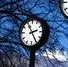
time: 2:25
